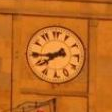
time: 7:43
